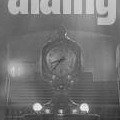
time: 8:37
